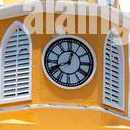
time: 12:41
